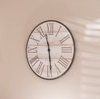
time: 11:28
